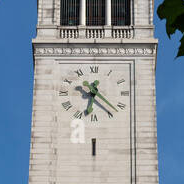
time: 6:21
